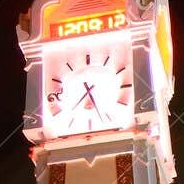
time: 7:26
